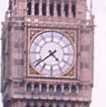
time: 4:38
